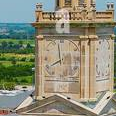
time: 7:58
